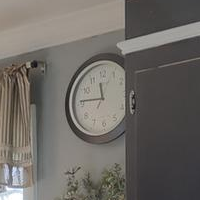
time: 11:45
